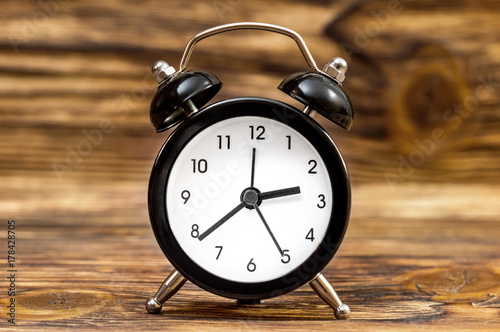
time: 2:38
